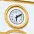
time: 6:10
